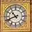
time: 10:41
